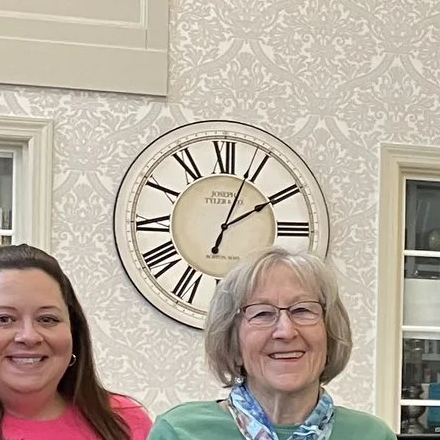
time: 2:03
